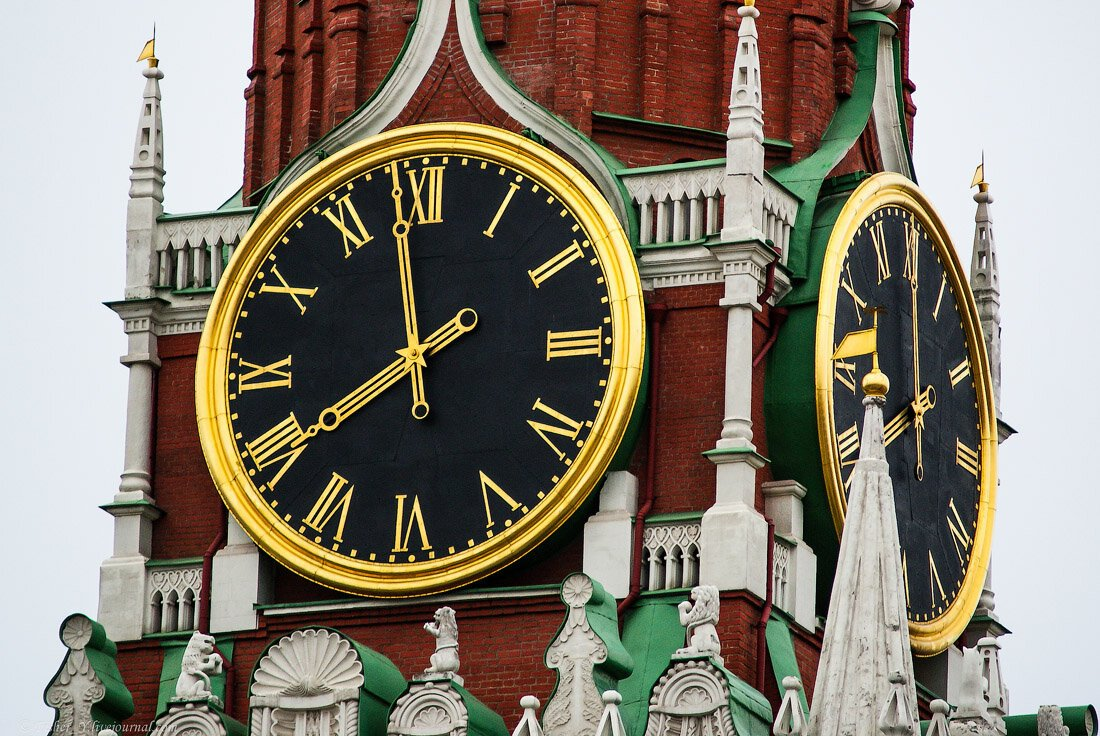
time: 7:58
